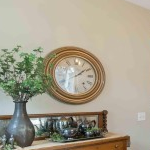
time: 2:09
